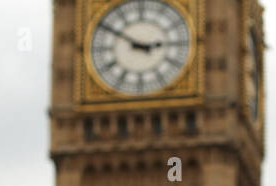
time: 2:50
